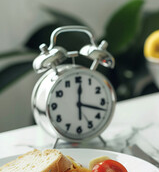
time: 12:17
